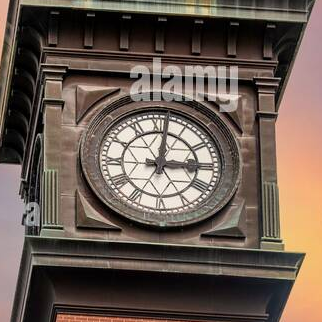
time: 3:01
